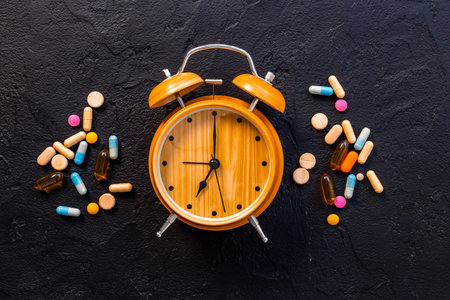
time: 7:00
